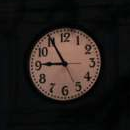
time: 8:55
